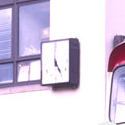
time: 5:24
